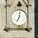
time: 7:02
